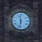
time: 11:32
